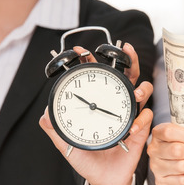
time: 10:19
